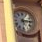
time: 5:14
